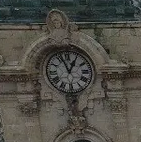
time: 12:56
